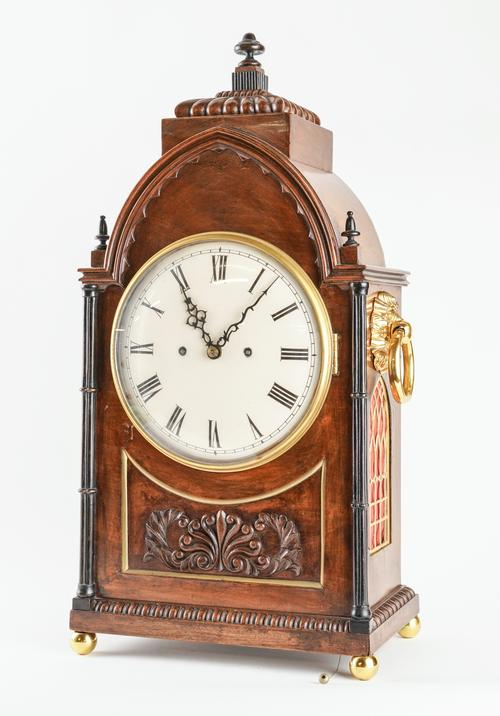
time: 11:07
